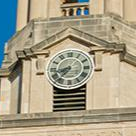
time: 8:36
